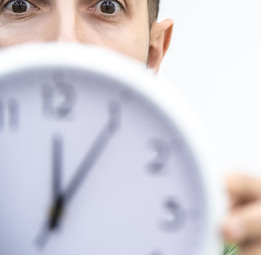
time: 12:05
